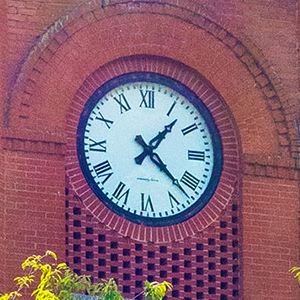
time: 1:22
